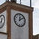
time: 12:09
